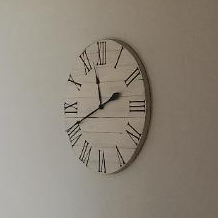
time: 11:41
